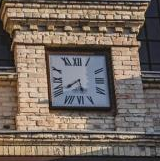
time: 5:39
